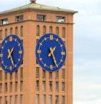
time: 1:25
